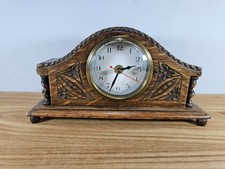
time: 2:32
